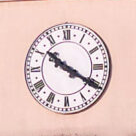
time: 10:20
